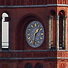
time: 1:32
